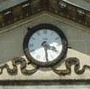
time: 3:28
